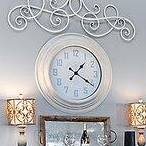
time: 1:20
